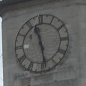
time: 11:28
